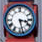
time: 3:27
